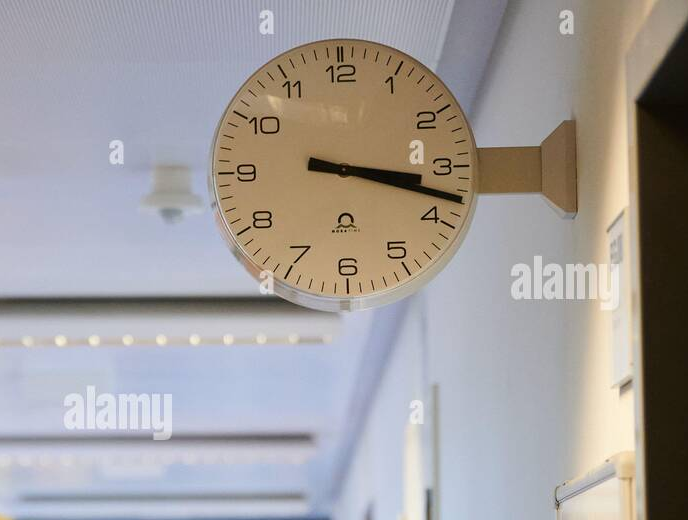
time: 3:17
